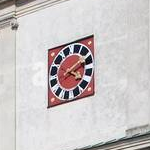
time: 4:09
